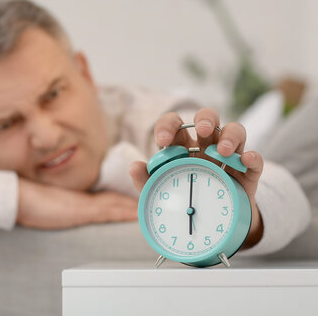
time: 6:00
